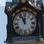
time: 11:55
